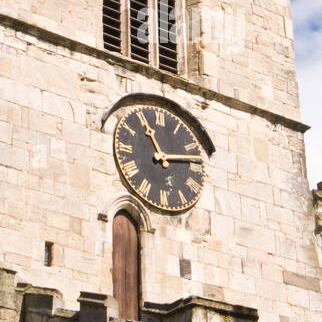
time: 11:13
